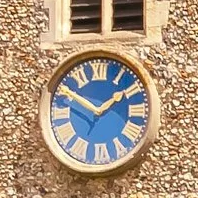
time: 1:49
